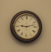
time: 9:12
